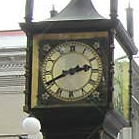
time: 2:40
